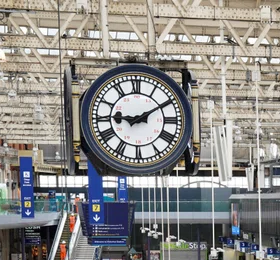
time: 9:09
